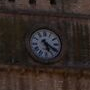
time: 5:20
